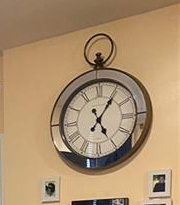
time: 5:05
